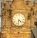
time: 4:31
